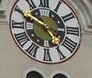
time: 4:49
